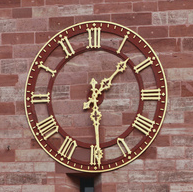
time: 1:29
